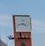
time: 3:43
